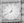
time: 12:40
